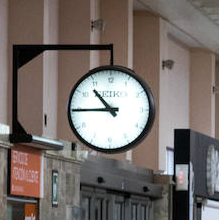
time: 10:44
